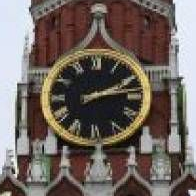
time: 2:13
